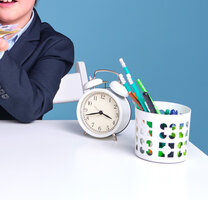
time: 3:42
